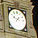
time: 9:36
